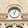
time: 11:03
